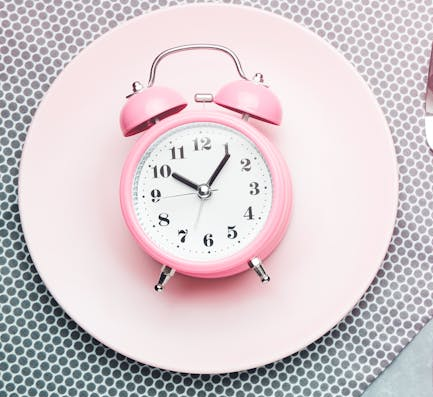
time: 10:06
